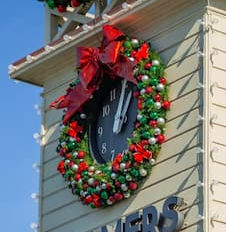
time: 1:02
